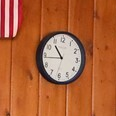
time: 10:43
